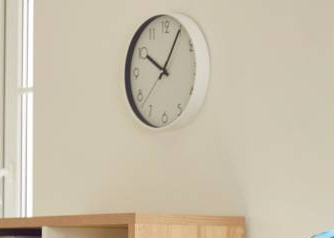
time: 10:04
